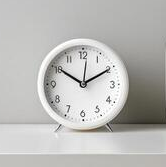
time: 10:10
